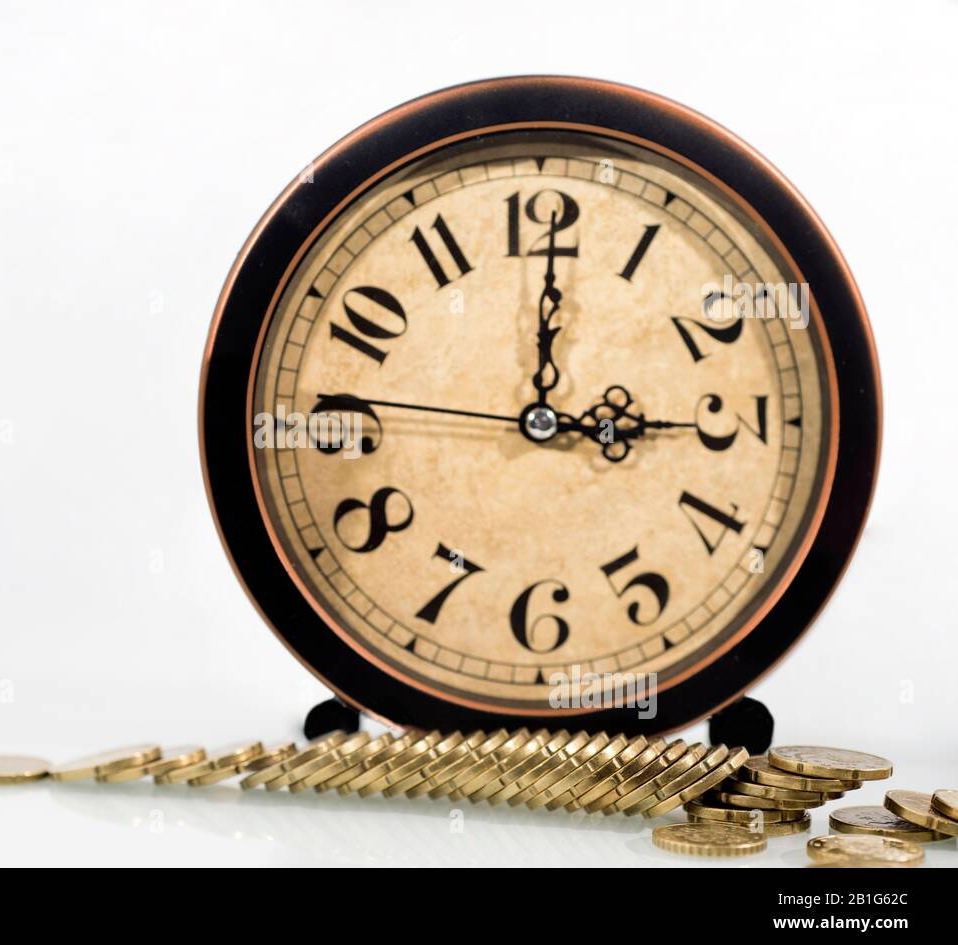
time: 3:00
